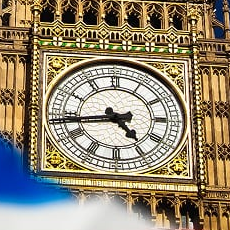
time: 4:43
